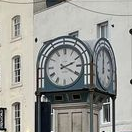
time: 2:20
